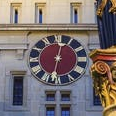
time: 12:32
